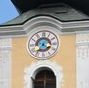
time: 3:36
